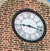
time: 9:17
